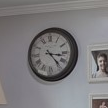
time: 3:23
